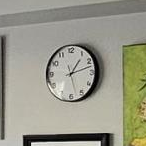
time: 1:12
